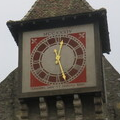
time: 12:27
